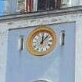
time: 12:07
